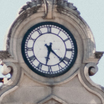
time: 6:22
